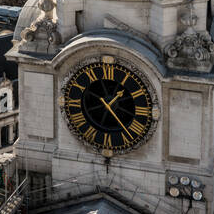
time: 1:16
